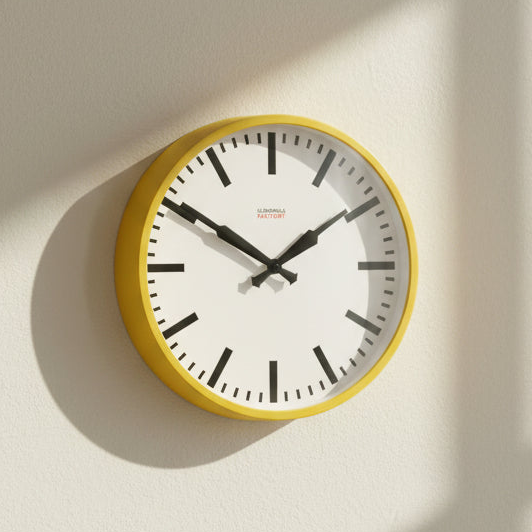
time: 1:50
